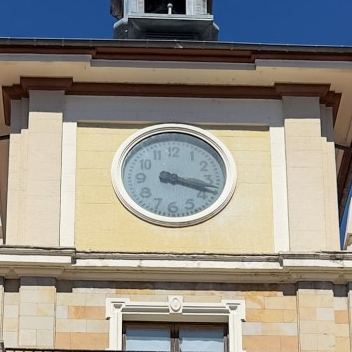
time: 3:18
